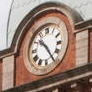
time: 10:24
